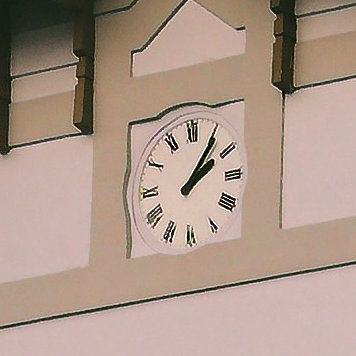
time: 2:06
